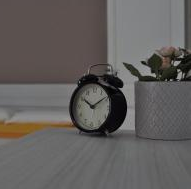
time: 10:09
